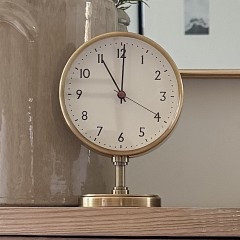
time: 11:00
